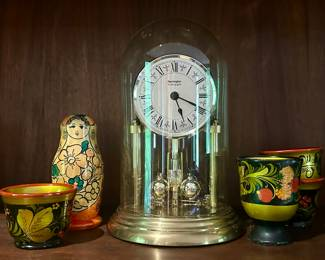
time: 5:17
